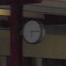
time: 6:14
